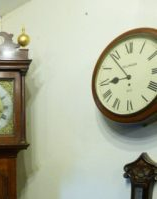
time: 8:53
